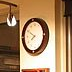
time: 7:49
